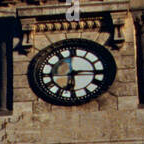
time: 6:14
